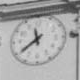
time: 11:39
